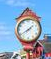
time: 1:39
